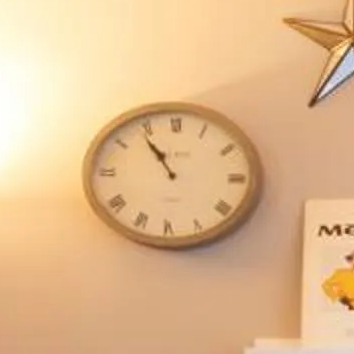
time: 10:53
